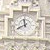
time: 11:40
